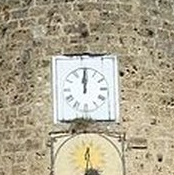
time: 12:00
